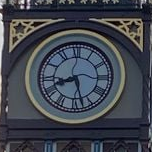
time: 8:27
